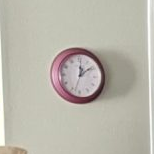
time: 12:08
